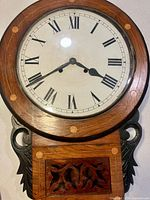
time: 3:39
